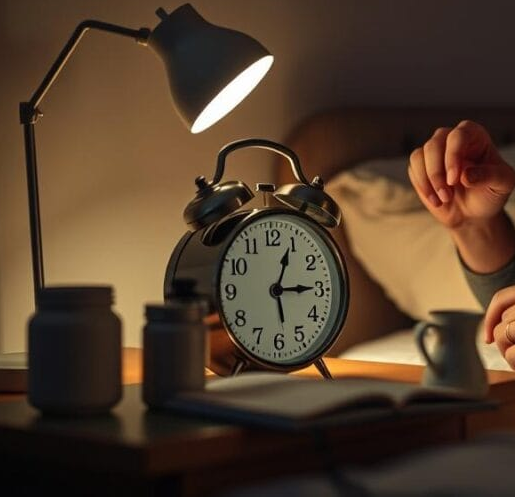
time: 3:04
